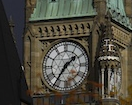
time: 1:36
